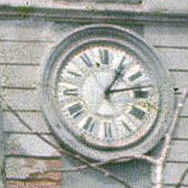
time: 1:13
